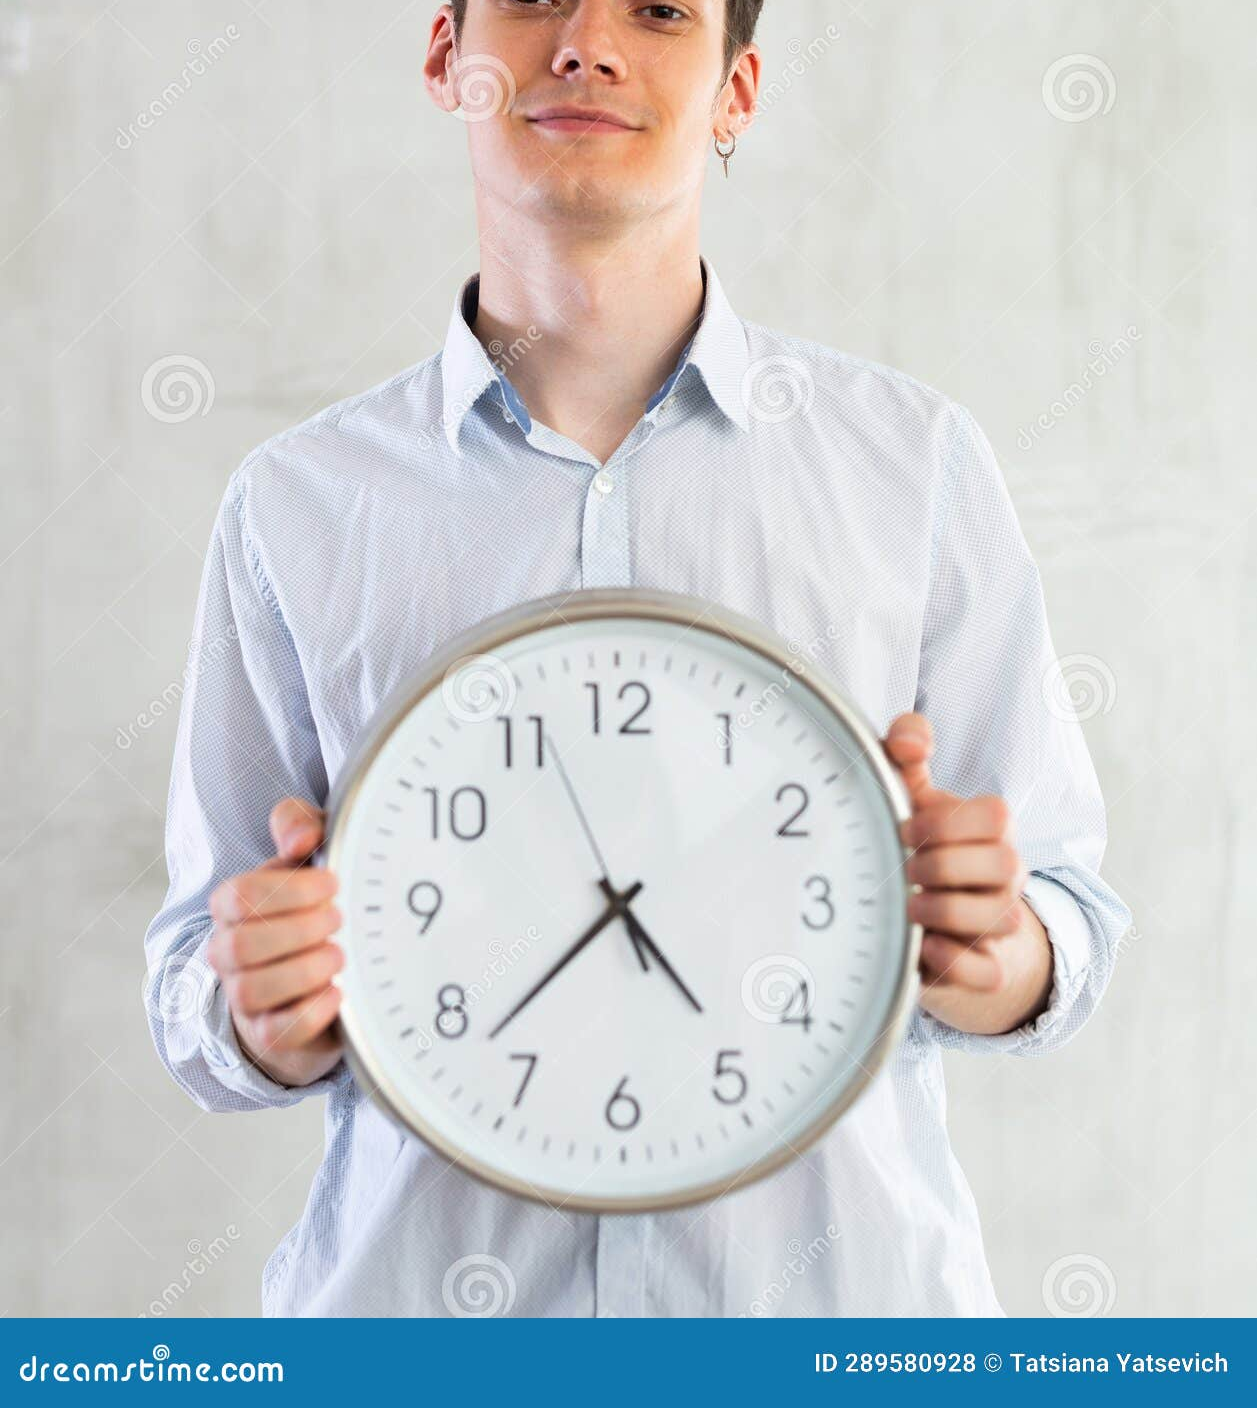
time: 4:37
